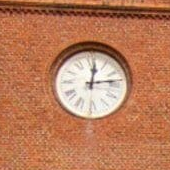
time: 12:13
